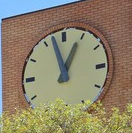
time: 12:57
